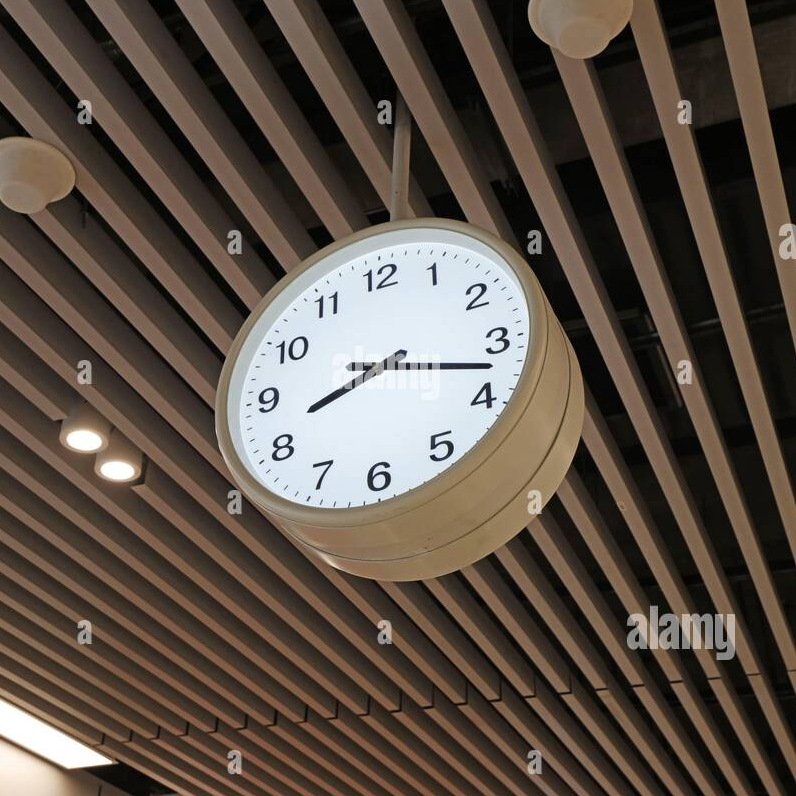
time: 8:17
